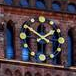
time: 1:50
